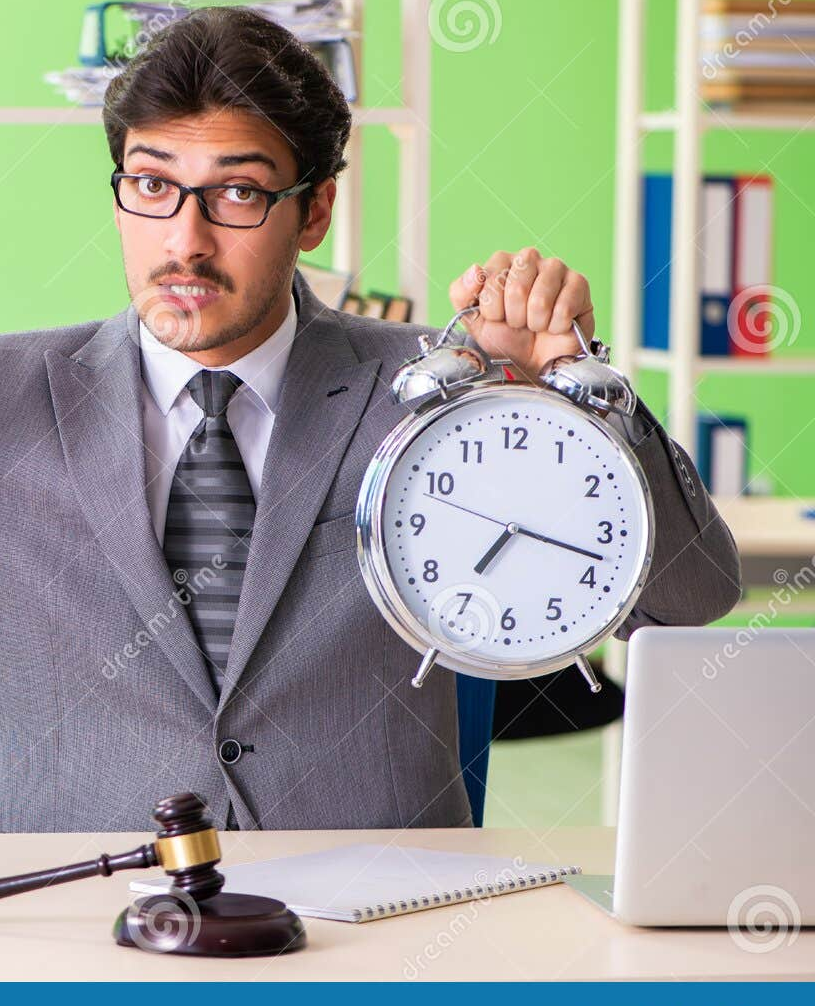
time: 7:17
